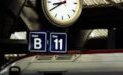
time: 8:39
